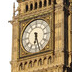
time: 6:27
